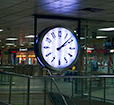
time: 2:08
